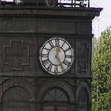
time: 12:24
